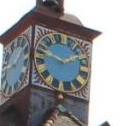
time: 1:47
